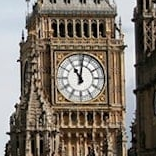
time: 11:01
